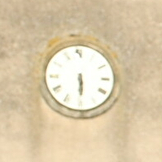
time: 5:29
